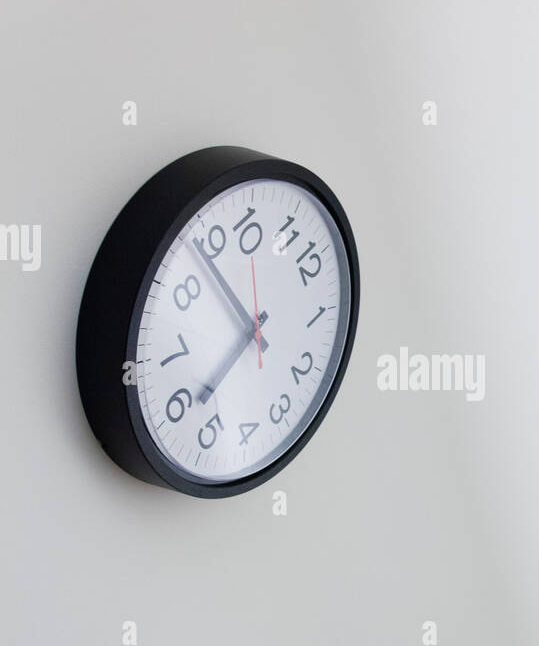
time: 7:53
